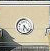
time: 6:23
